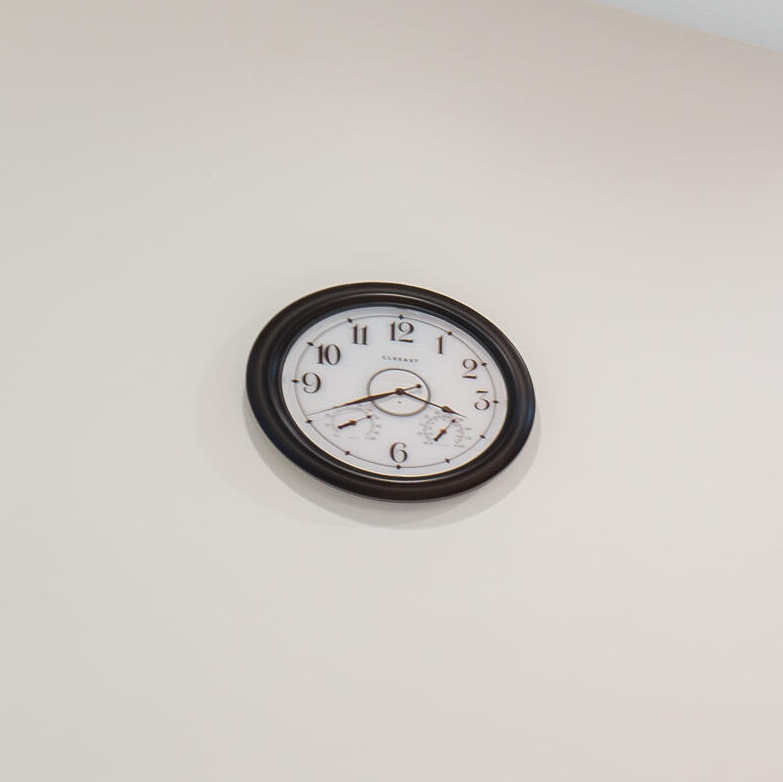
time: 3:40
